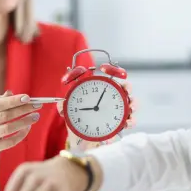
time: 9:04
